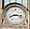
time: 8:16
